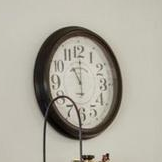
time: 11:00
